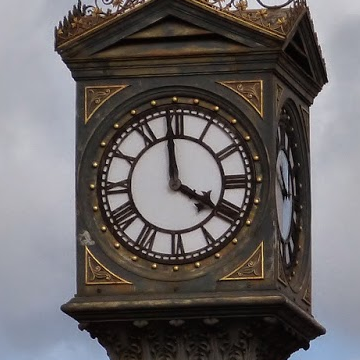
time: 3:58
